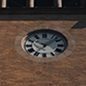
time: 10:07
